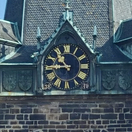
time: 10:45
